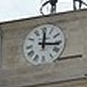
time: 12:16
